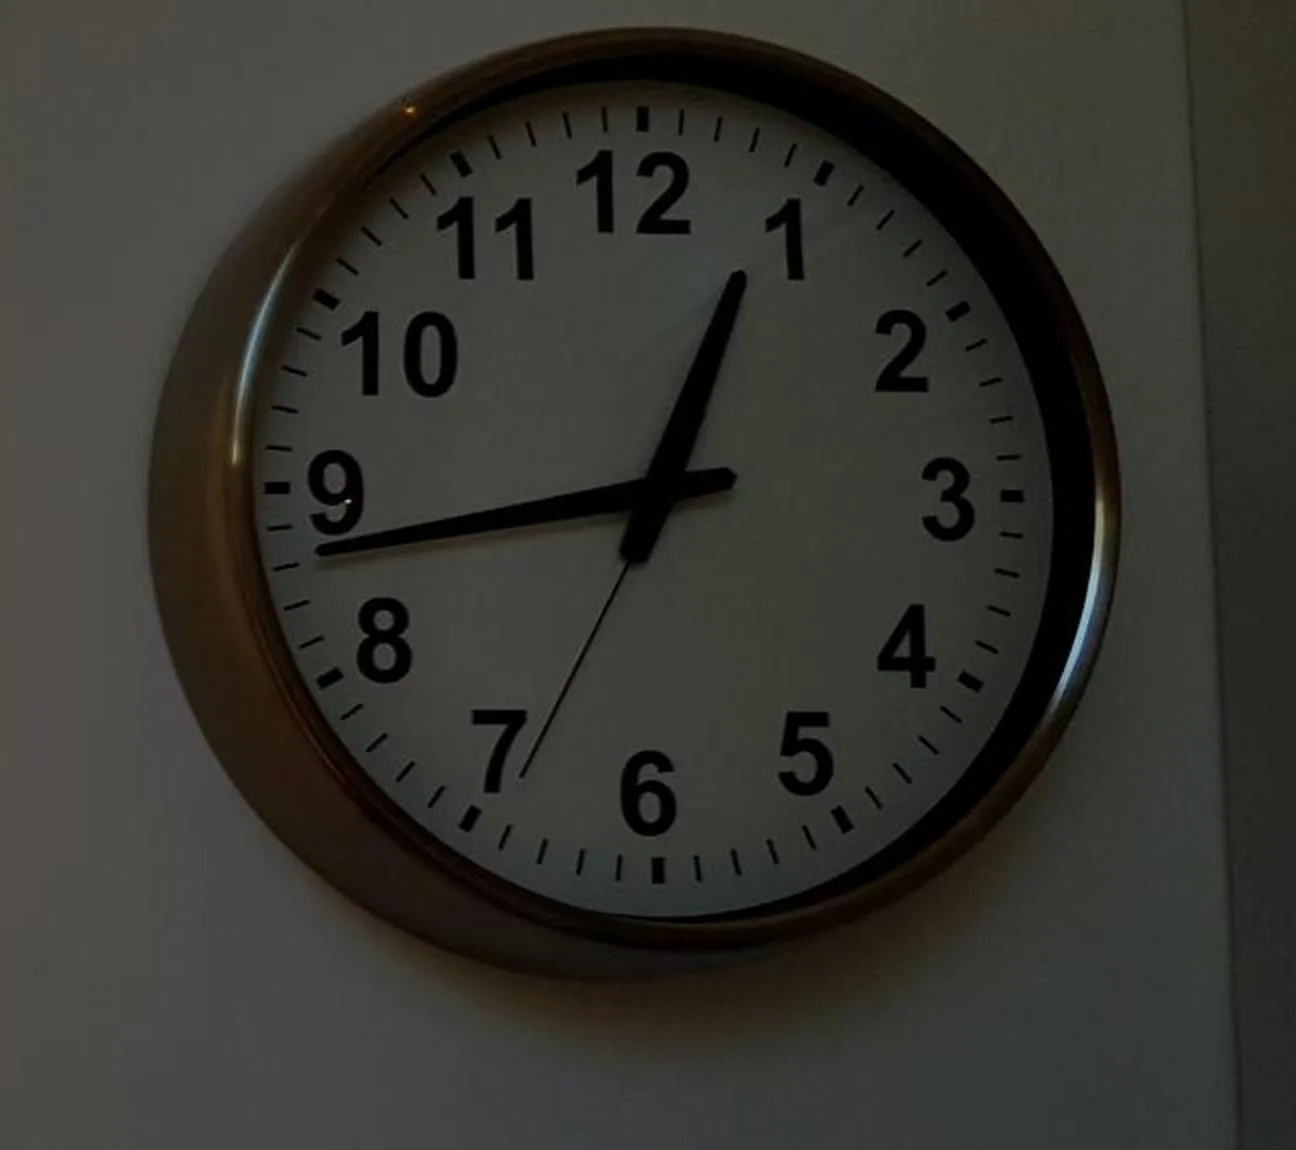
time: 12:43
